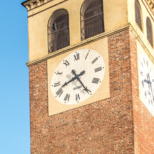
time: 8:25
